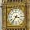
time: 3:36
